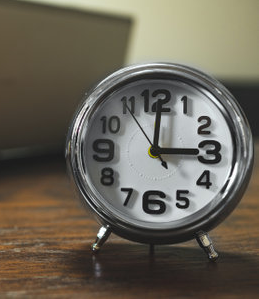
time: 3:00
